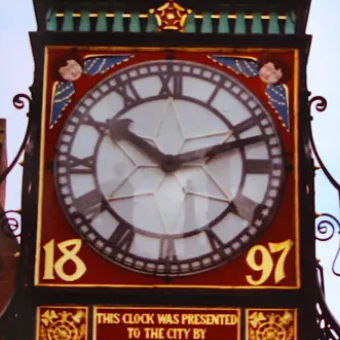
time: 10:12
